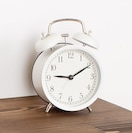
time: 9:10
